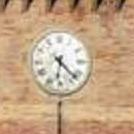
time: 6:22
